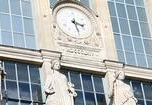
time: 3:27
